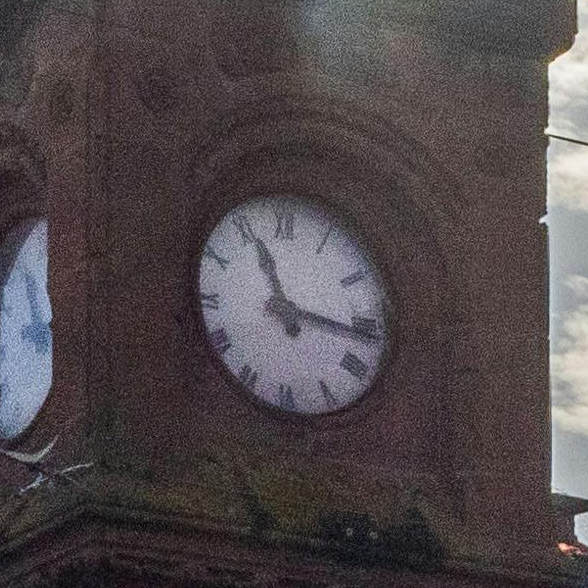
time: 11:16
